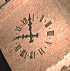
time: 11:45
